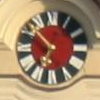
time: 10:34
